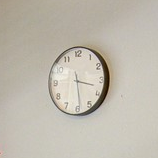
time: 3:28
